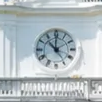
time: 10:00
